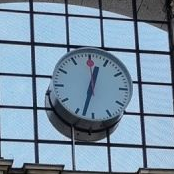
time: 12:32
